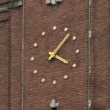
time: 4:07
